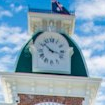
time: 10:17
